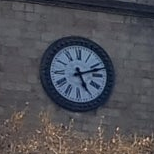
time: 5:12
